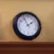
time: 1:56
